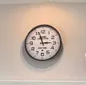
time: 2:56
